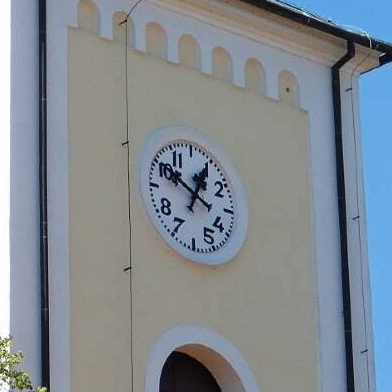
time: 12:50
